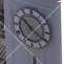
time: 10:20
